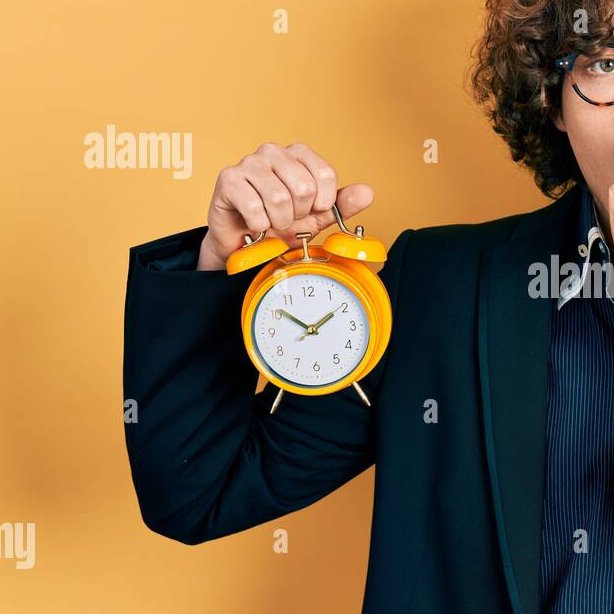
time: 1:51
